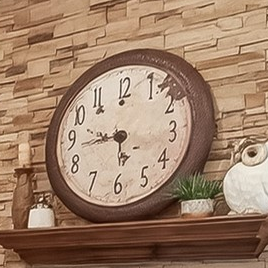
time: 5:43
